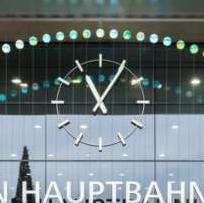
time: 11:05
